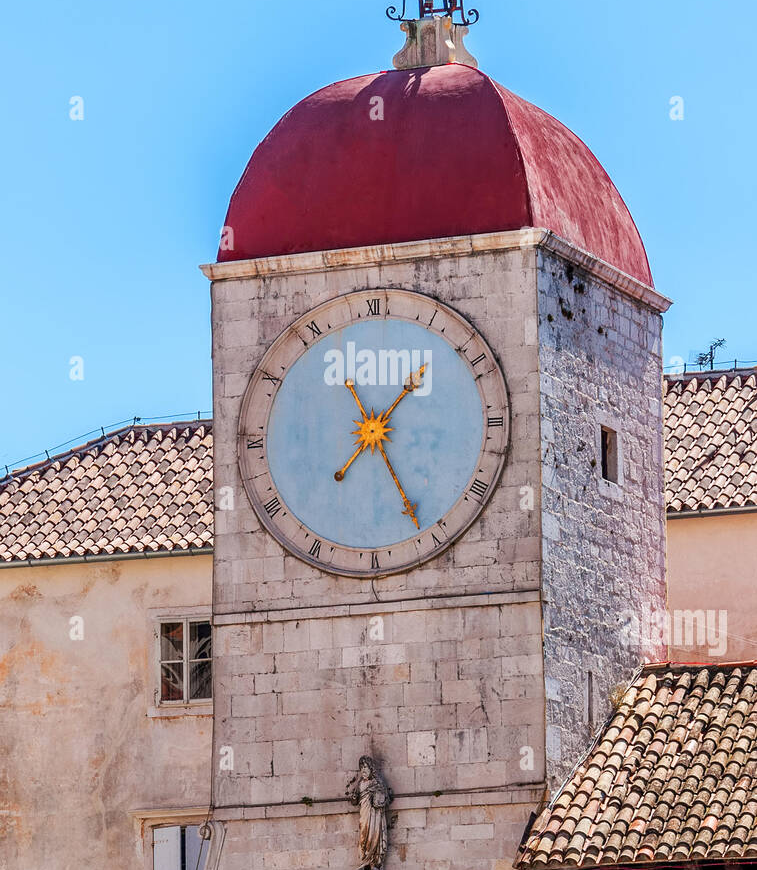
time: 1:25
